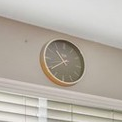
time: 10:38
